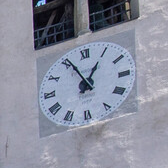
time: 12:55
